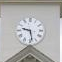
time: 9:28
